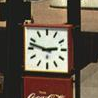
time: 2:47
